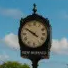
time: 9:50
